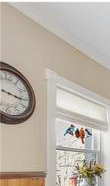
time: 3:16
